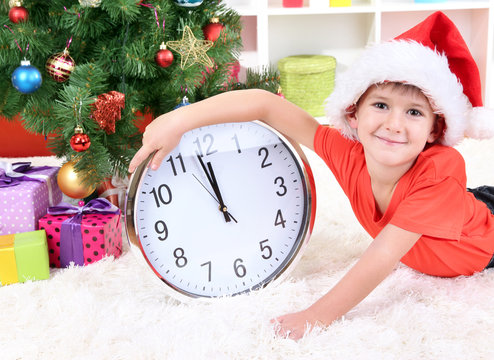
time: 11:58
